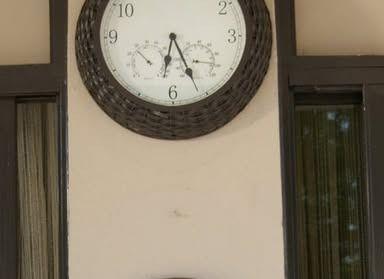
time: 6:25
